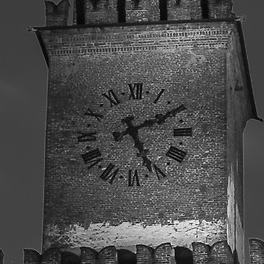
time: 5:11
